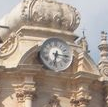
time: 6:15
